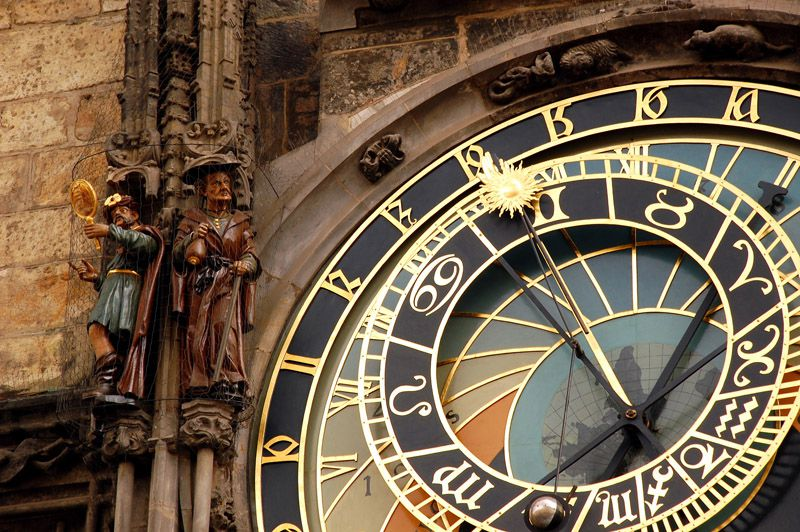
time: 12:52
